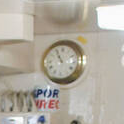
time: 10:55
